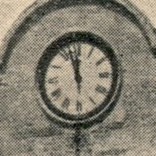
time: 11:57
